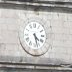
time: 4:27
